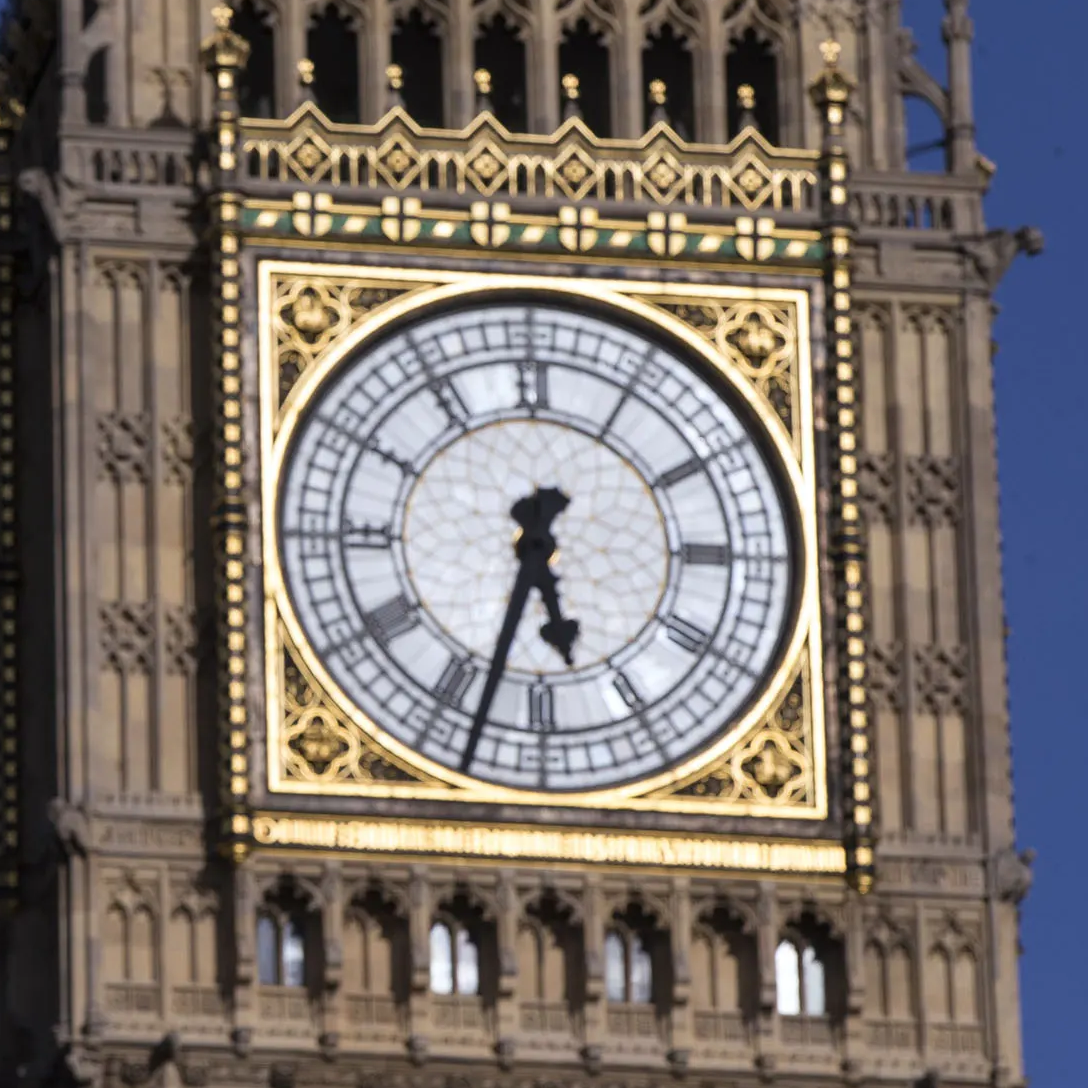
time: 5:33
